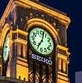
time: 7:02
